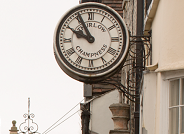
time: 9:55
